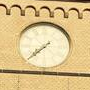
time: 7:37
